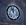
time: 11:55
